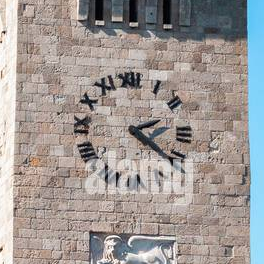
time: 2:20
